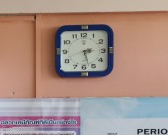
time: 2:27
